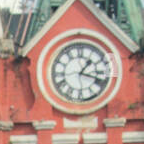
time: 1:18
